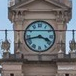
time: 3:42
